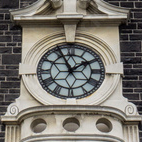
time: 1:55
